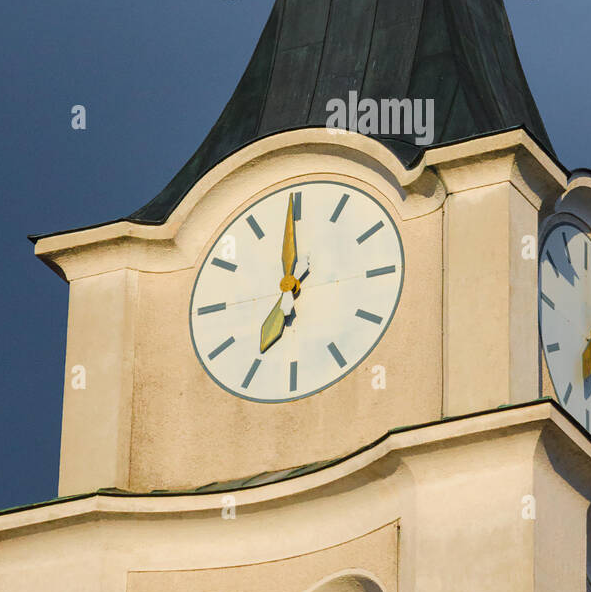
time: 6:59
